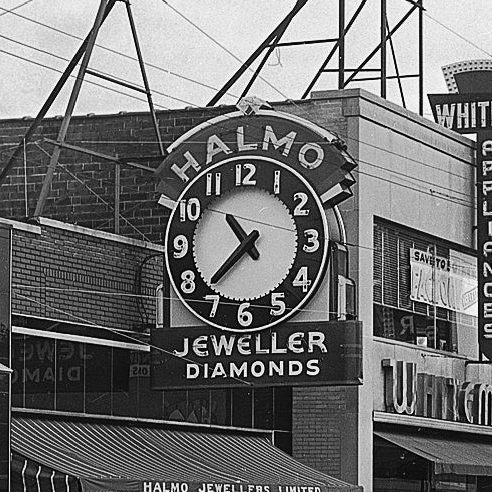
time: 10:37
